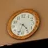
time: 4:33
